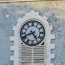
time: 4:41
